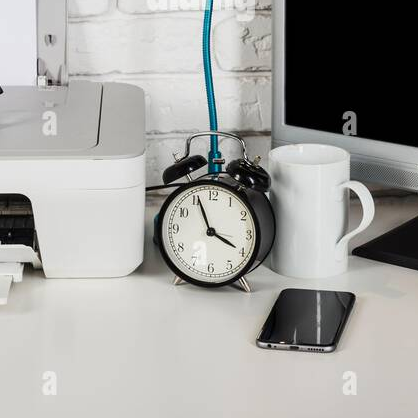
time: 3:56
